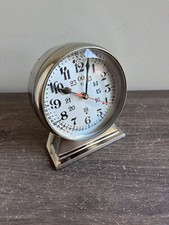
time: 10:02
